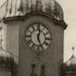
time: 12:26
